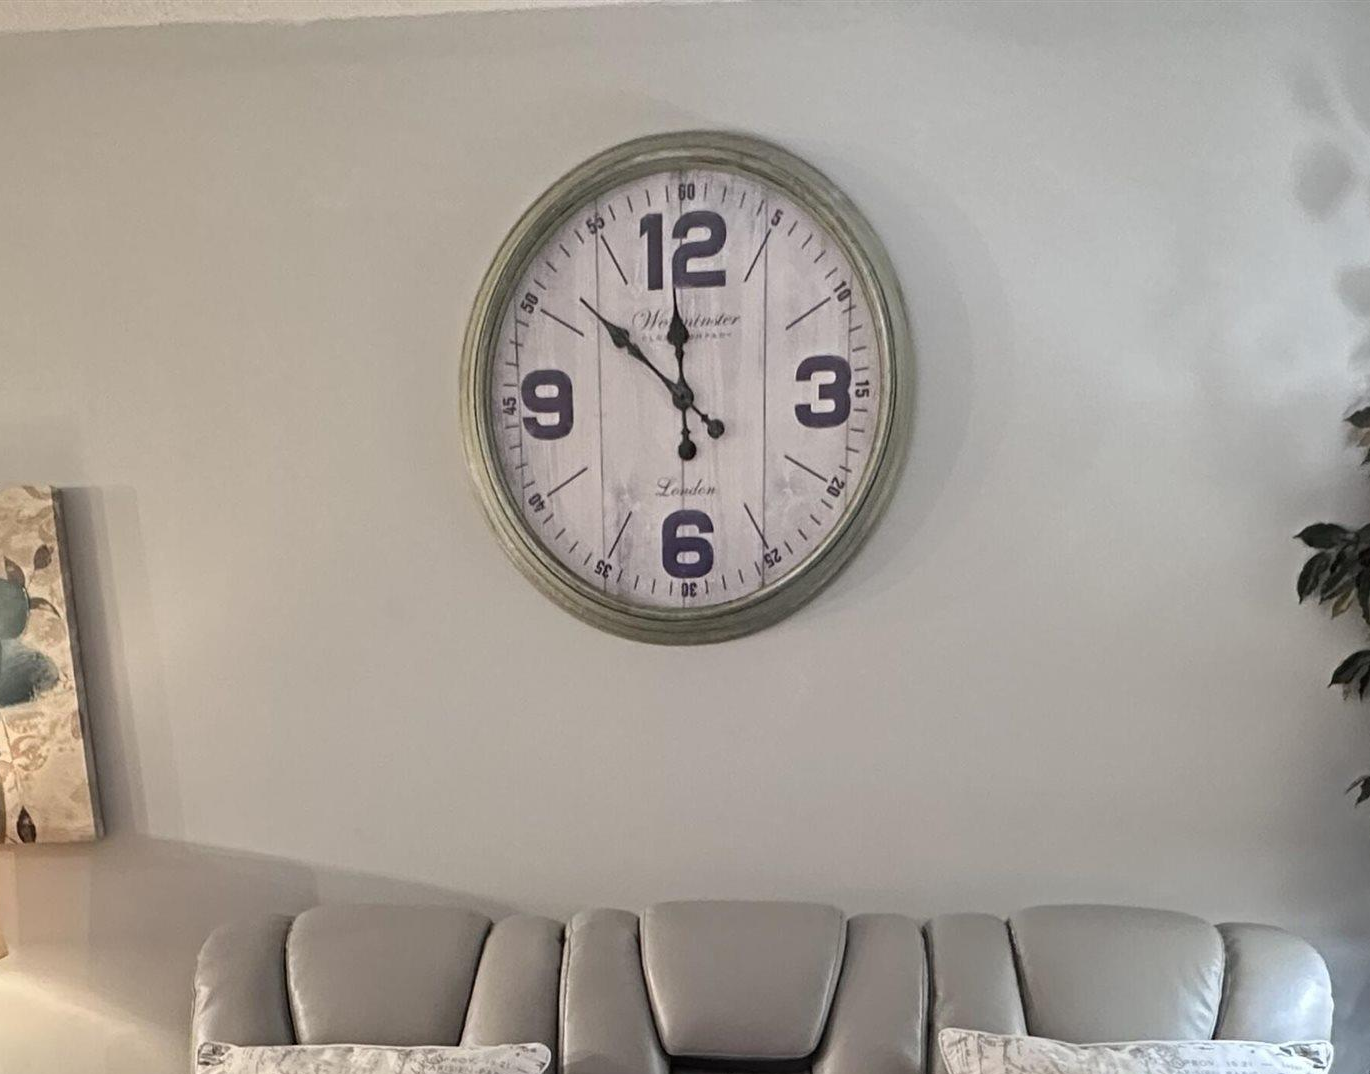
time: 11:51
